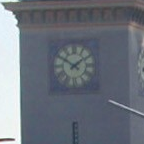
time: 1:50
